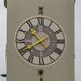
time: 10:40
